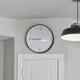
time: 8:44
